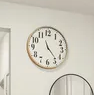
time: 11:23
